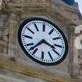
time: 3:37
